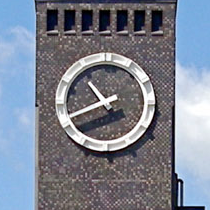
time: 10:41
